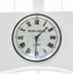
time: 1:30
